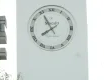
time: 7:55
